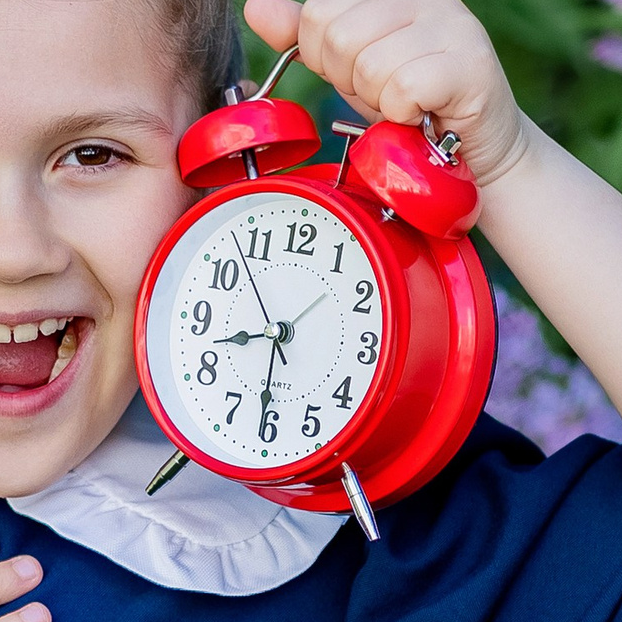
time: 8:30
